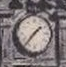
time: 1:36
